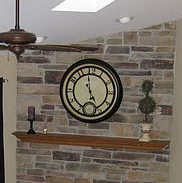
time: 4:58
